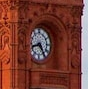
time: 8:24
